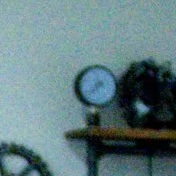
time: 7:37
